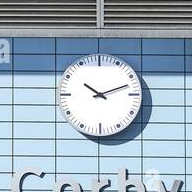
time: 10:11
